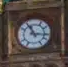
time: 11:16
